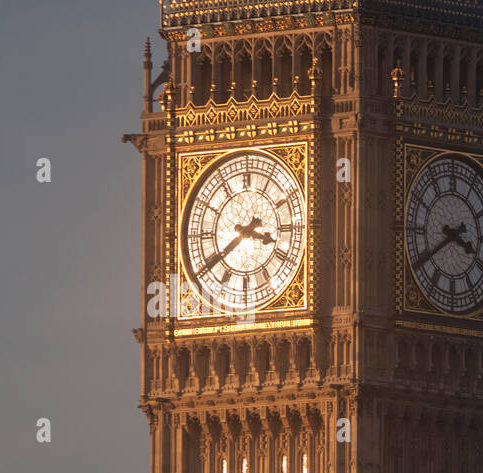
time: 3:39
